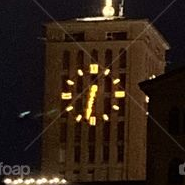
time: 6:32
